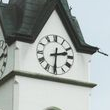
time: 2:30
